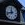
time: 11:42
